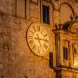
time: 5:14
